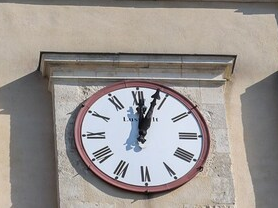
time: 12:03
